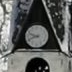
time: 9:41
